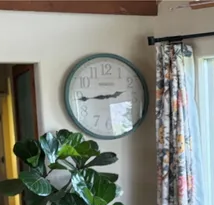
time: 2:44
